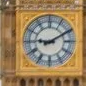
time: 9:10
